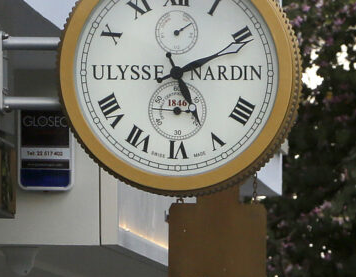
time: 5:11
